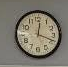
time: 12:18
